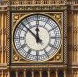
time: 11:52
